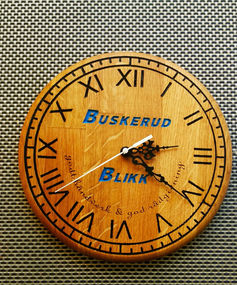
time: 2:20
